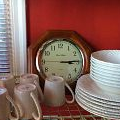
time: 3:14
